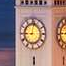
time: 9:01
